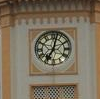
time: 7:02
